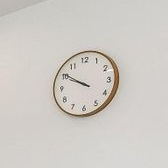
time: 9:50
